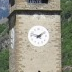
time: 1:47
